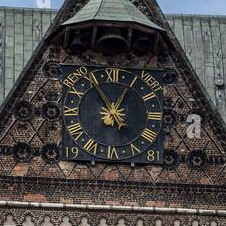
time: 12:55
